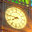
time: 7:46
